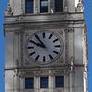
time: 9:54
